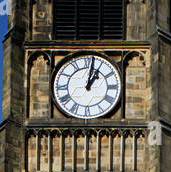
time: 1:01
